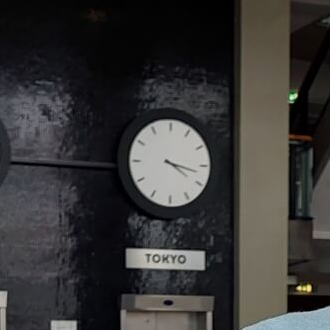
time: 4:17
